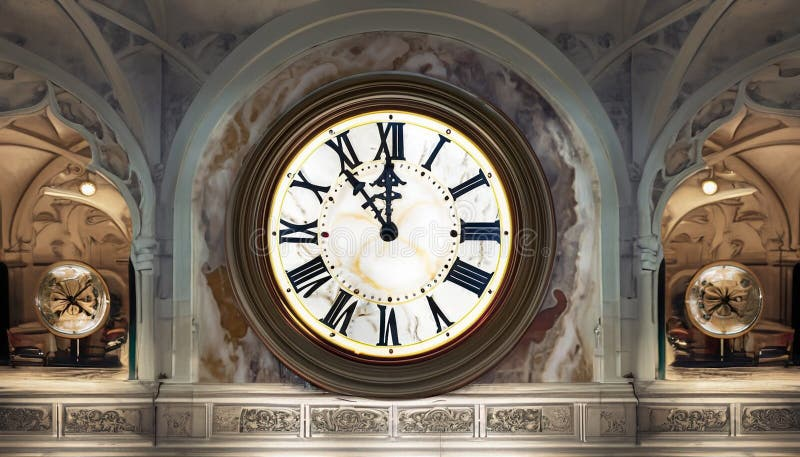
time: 11:53
